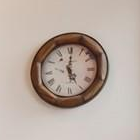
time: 5:00
